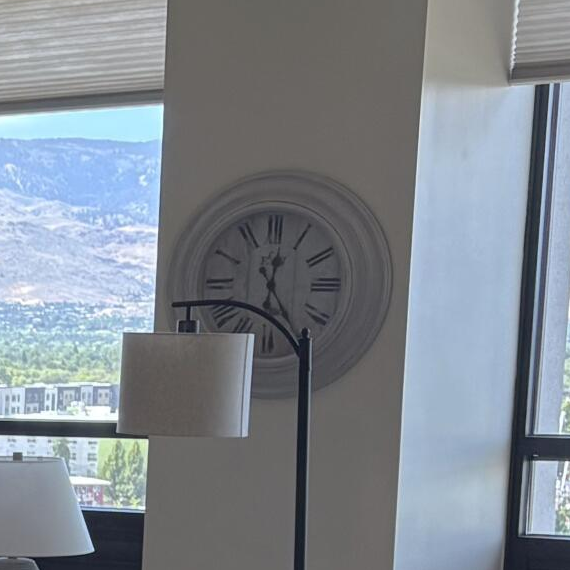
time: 12:23
